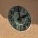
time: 1:59
